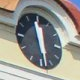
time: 11:28
